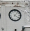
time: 4:07
